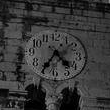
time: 4:35
